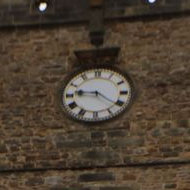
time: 9:21
